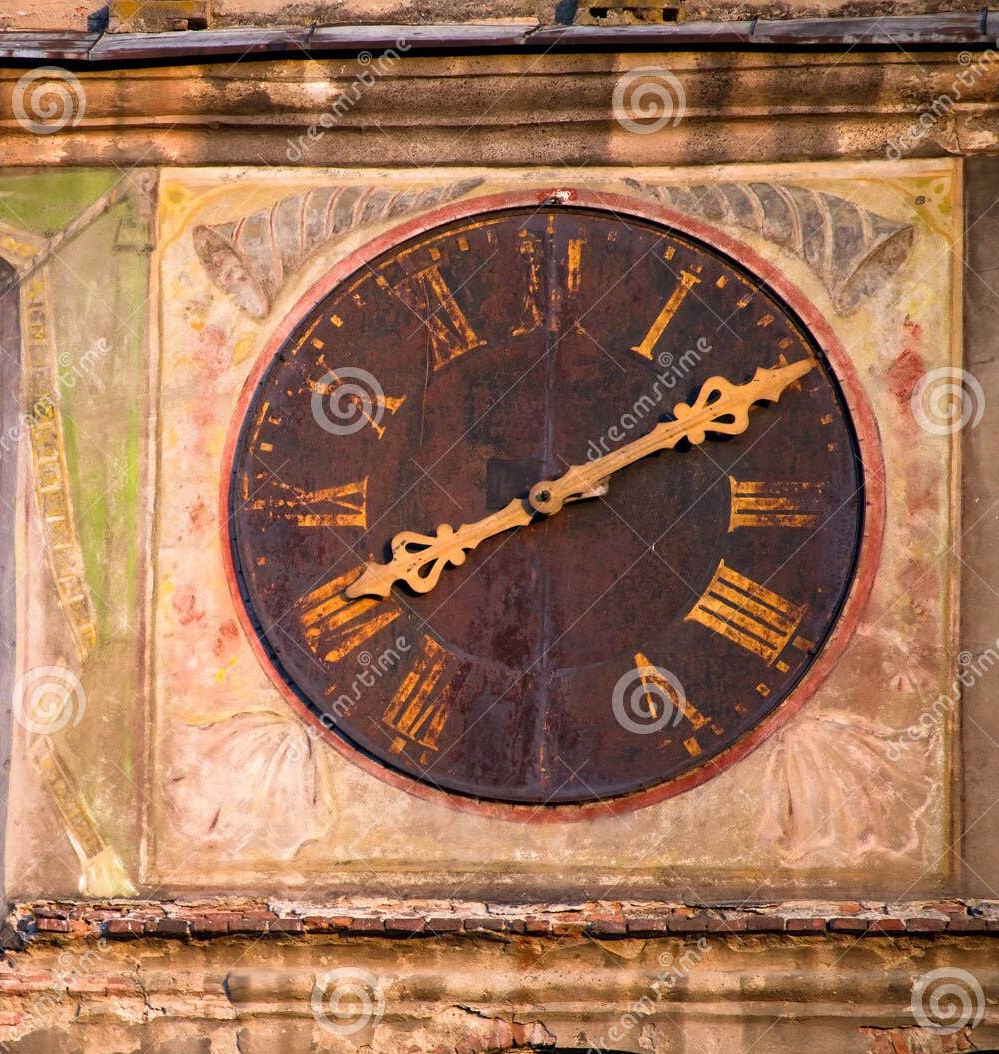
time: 8:09
